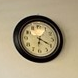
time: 6:19
